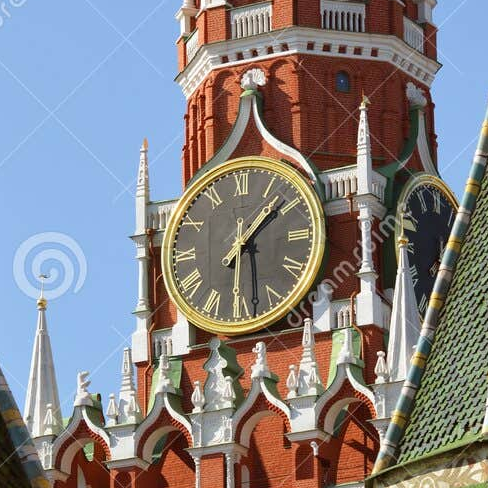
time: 1:28
